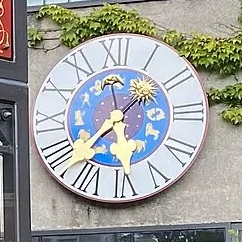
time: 1:37
